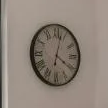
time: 4:02
